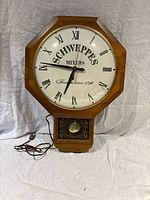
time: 6:46
